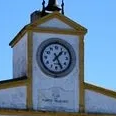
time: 1:25
